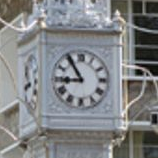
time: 8:54
